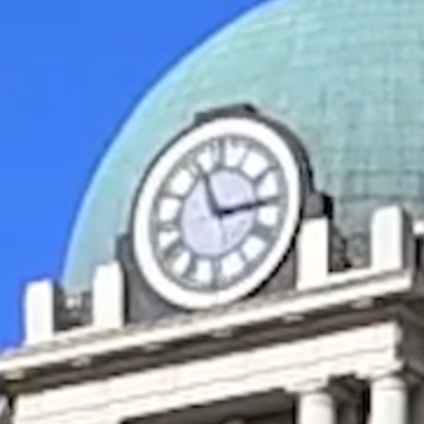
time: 2:56
